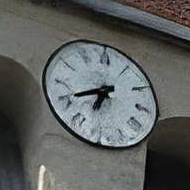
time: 6:40
